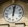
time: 12:01
